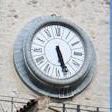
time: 5:26
